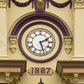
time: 2:27
